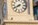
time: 7:40
